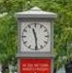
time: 11:29
